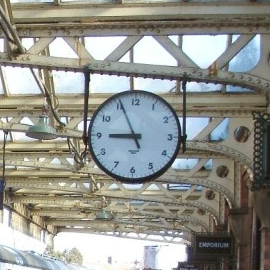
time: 8:55
